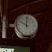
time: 10:00
